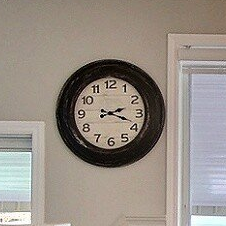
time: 2:18
